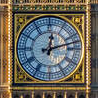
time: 12:12
